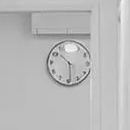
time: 10:29
